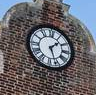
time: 1:26
